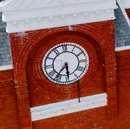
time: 5:36
